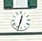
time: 12:32
